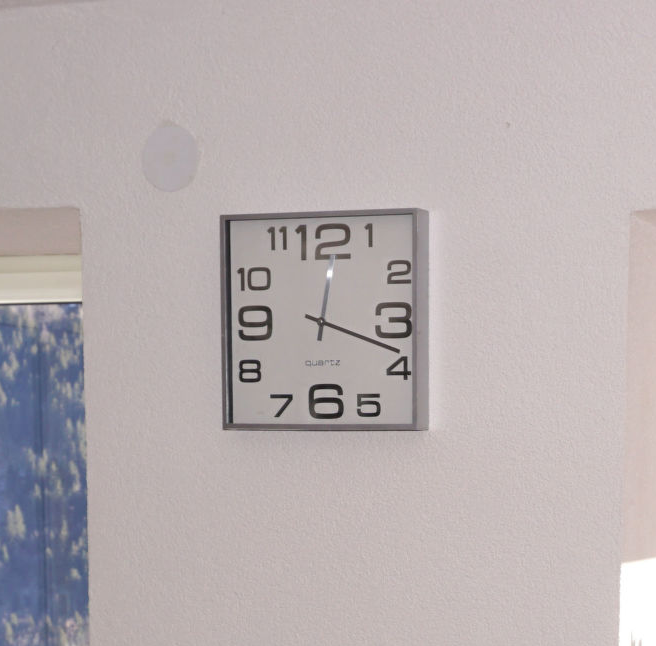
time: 12:18
